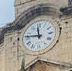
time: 11:46
